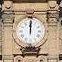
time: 12:00
